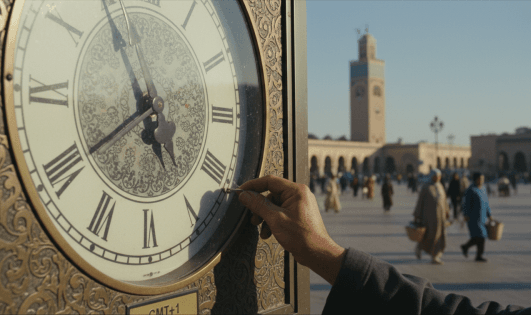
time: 7:54
